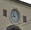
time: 10:42
